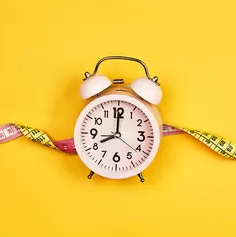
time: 8:00
